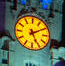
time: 5:09
